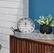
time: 11:45
